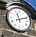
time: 11:11
